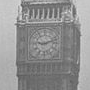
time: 9:12
